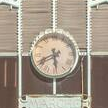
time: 5:40
